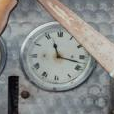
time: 11:17
